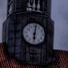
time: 6:01
